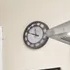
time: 11:48
